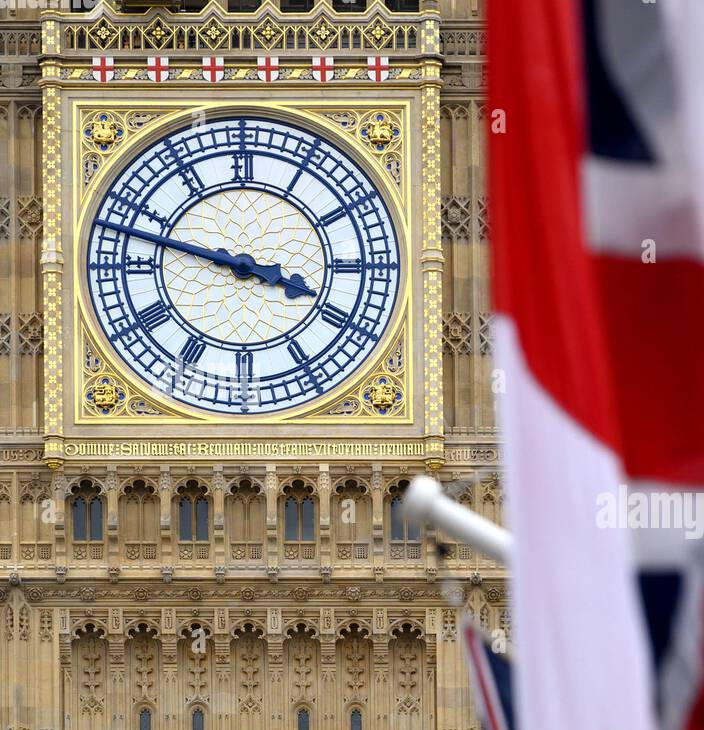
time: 3:47
